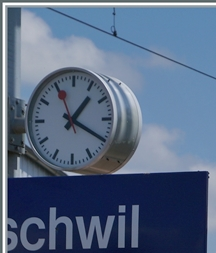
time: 1:19
